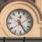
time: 12:24
